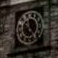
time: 11:23
